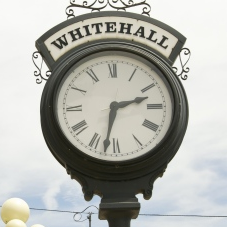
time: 2:32
